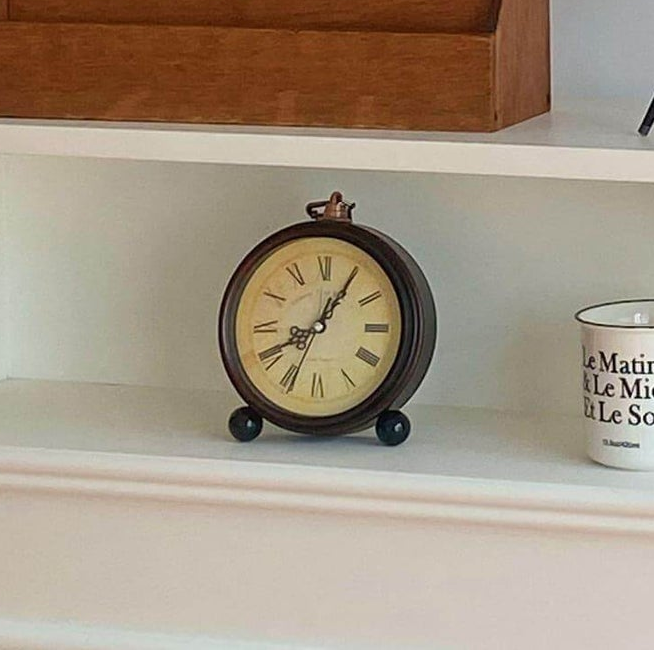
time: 8:05
